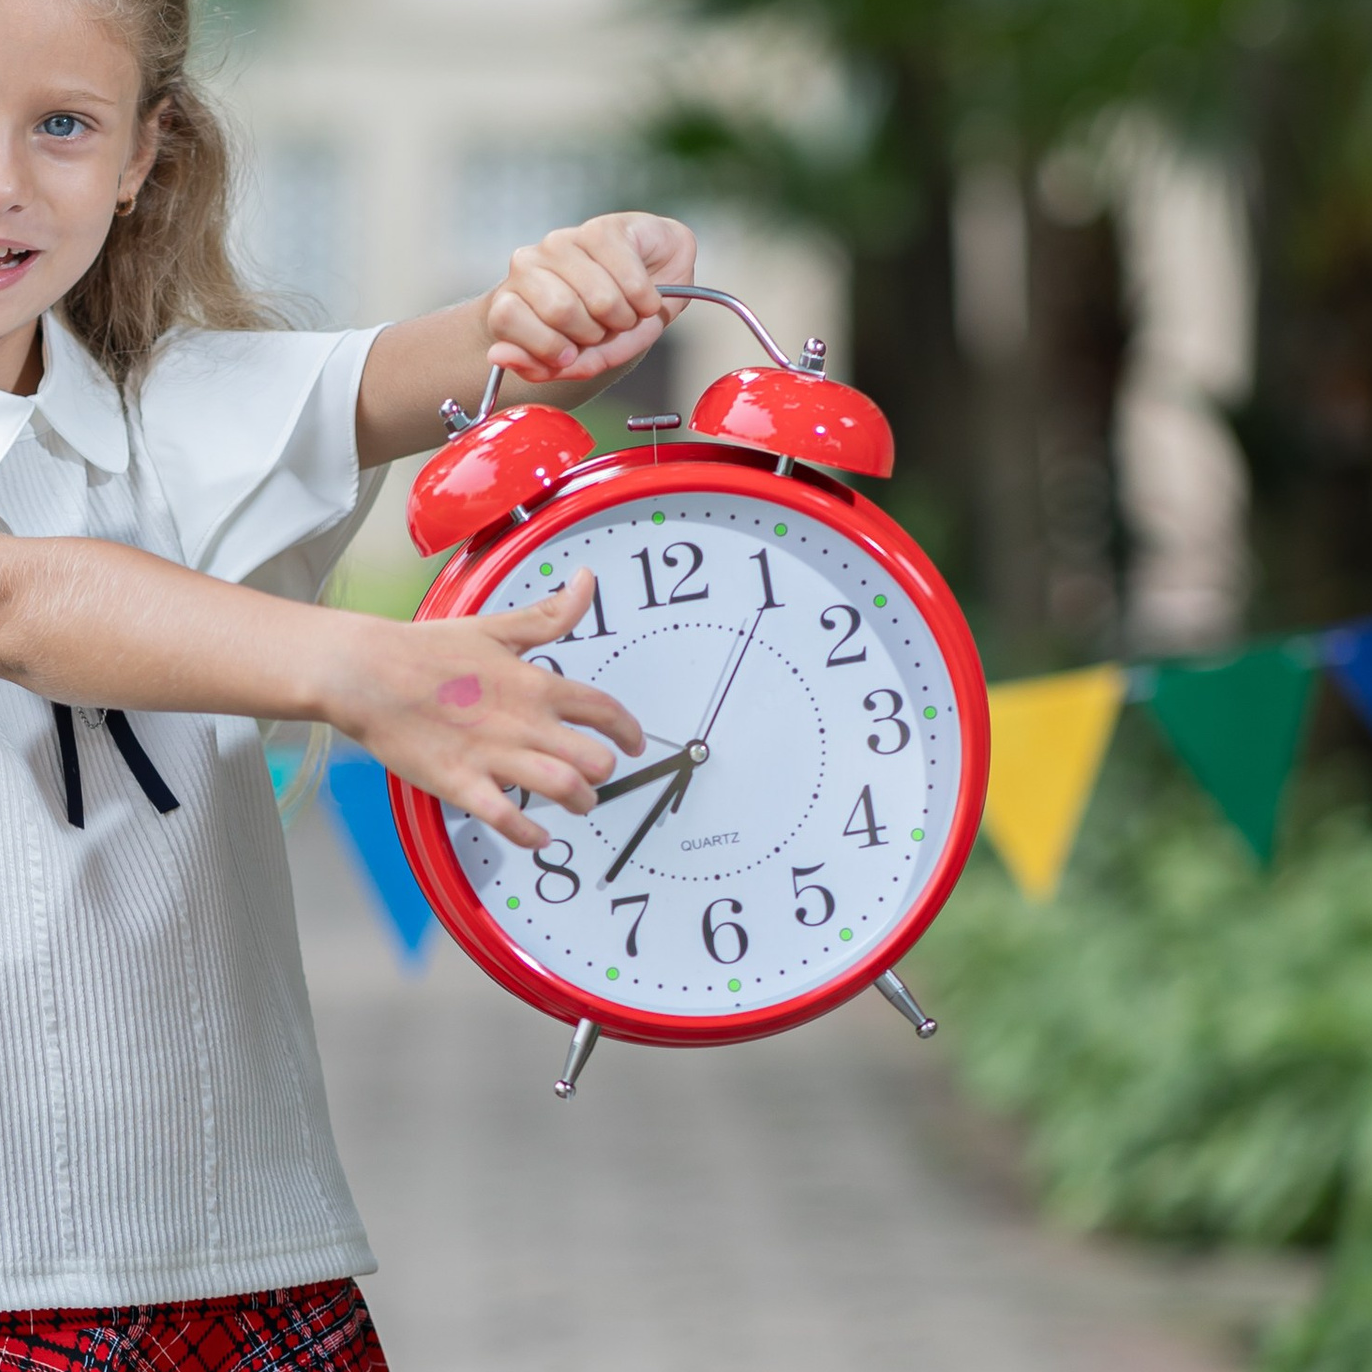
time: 8:37
